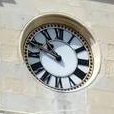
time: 10:48
